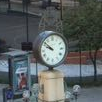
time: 9:51
